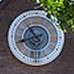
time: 10:42
